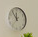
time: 11:53
